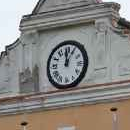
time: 12:05
